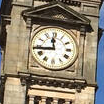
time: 11:43
